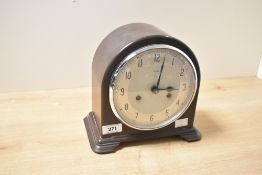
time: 3:02
